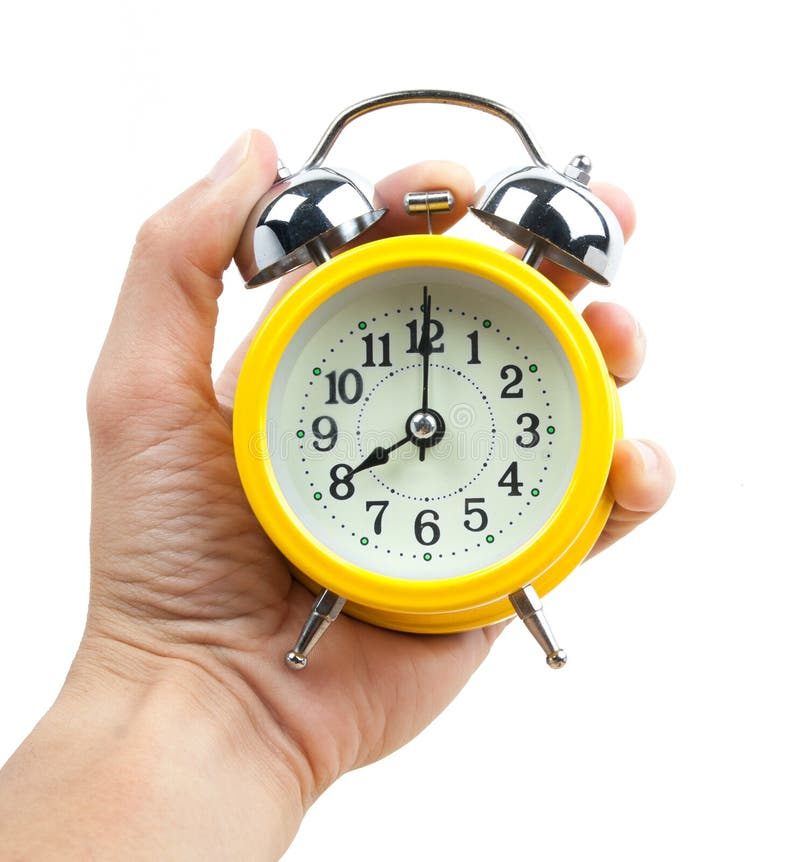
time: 8:00
